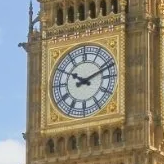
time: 10:11
